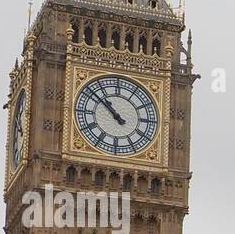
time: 10:51
